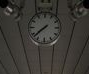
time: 7:38
